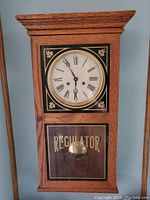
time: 5:55
